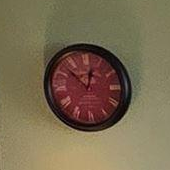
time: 12:52
